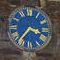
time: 3:36
